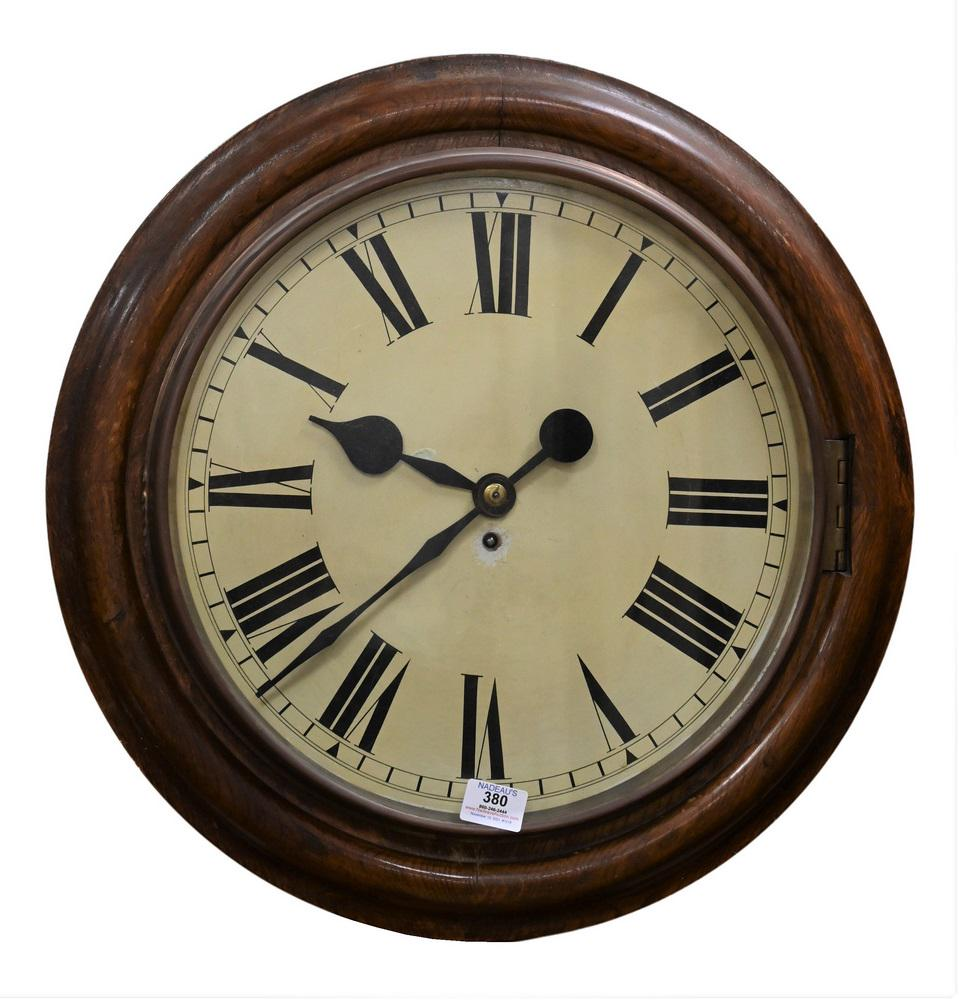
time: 9:37
